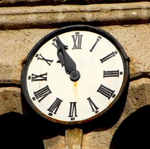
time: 10:55
